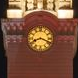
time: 8:18
